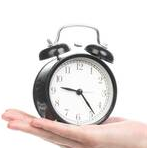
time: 9:23
